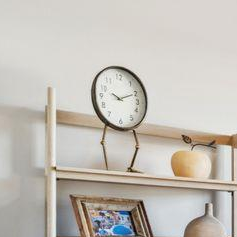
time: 9:10
